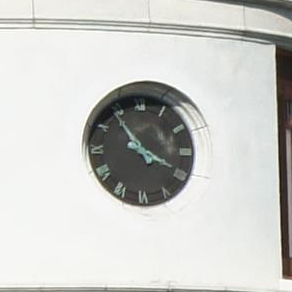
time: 3:54
